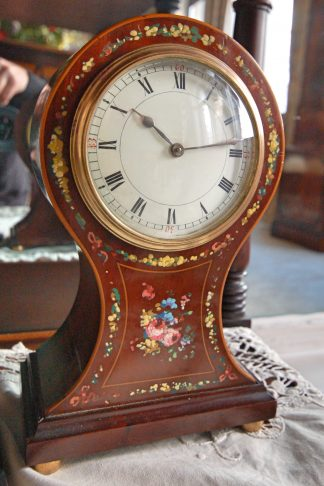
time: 10:14
